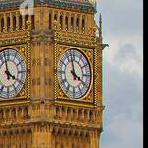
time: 3:58
